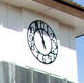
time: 11:55
